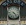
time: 4:22
